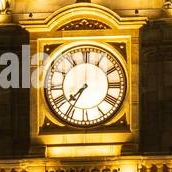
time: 7:35
